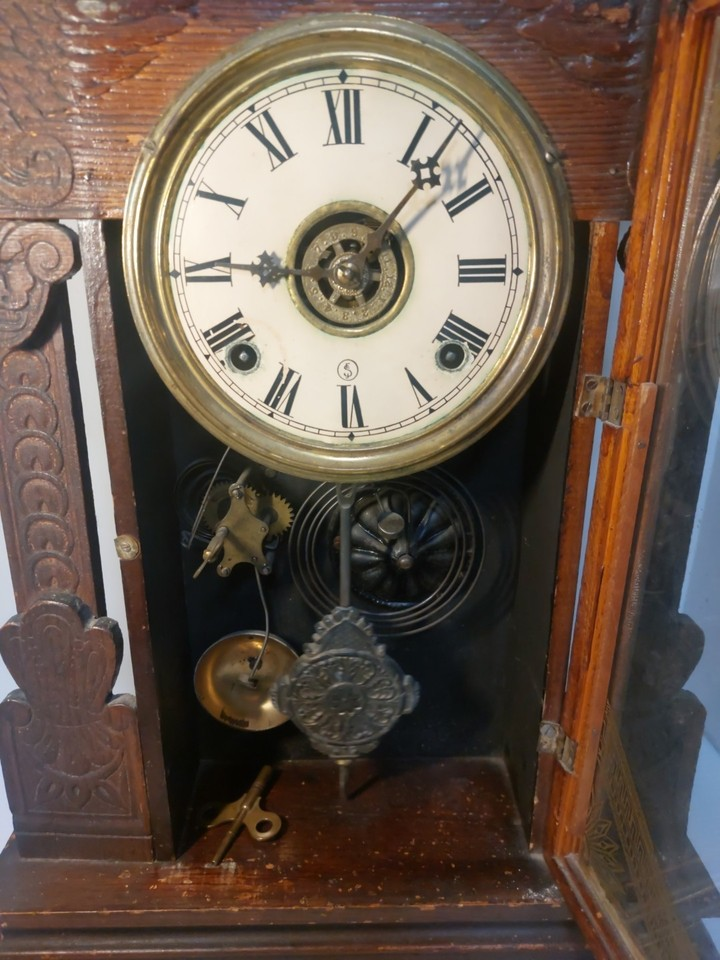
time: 9:07
